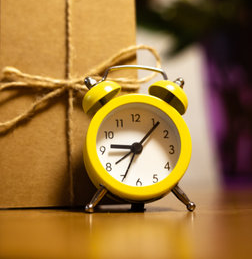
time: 9:07
